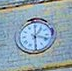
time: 1:18
